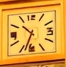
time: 10:33
